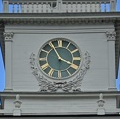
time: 3:55
